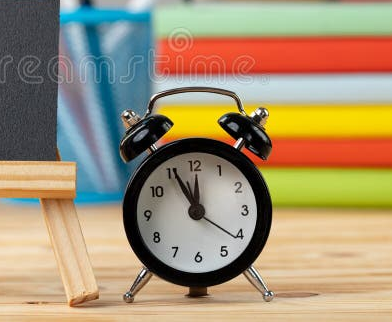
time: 11:55
